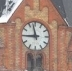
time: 8:57
